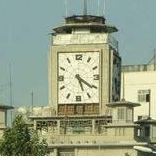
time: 5:20
